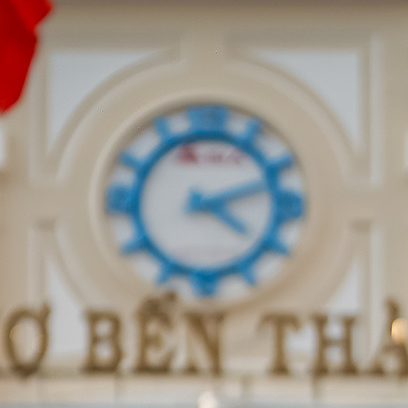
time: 4:11
